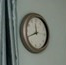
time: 11:41
